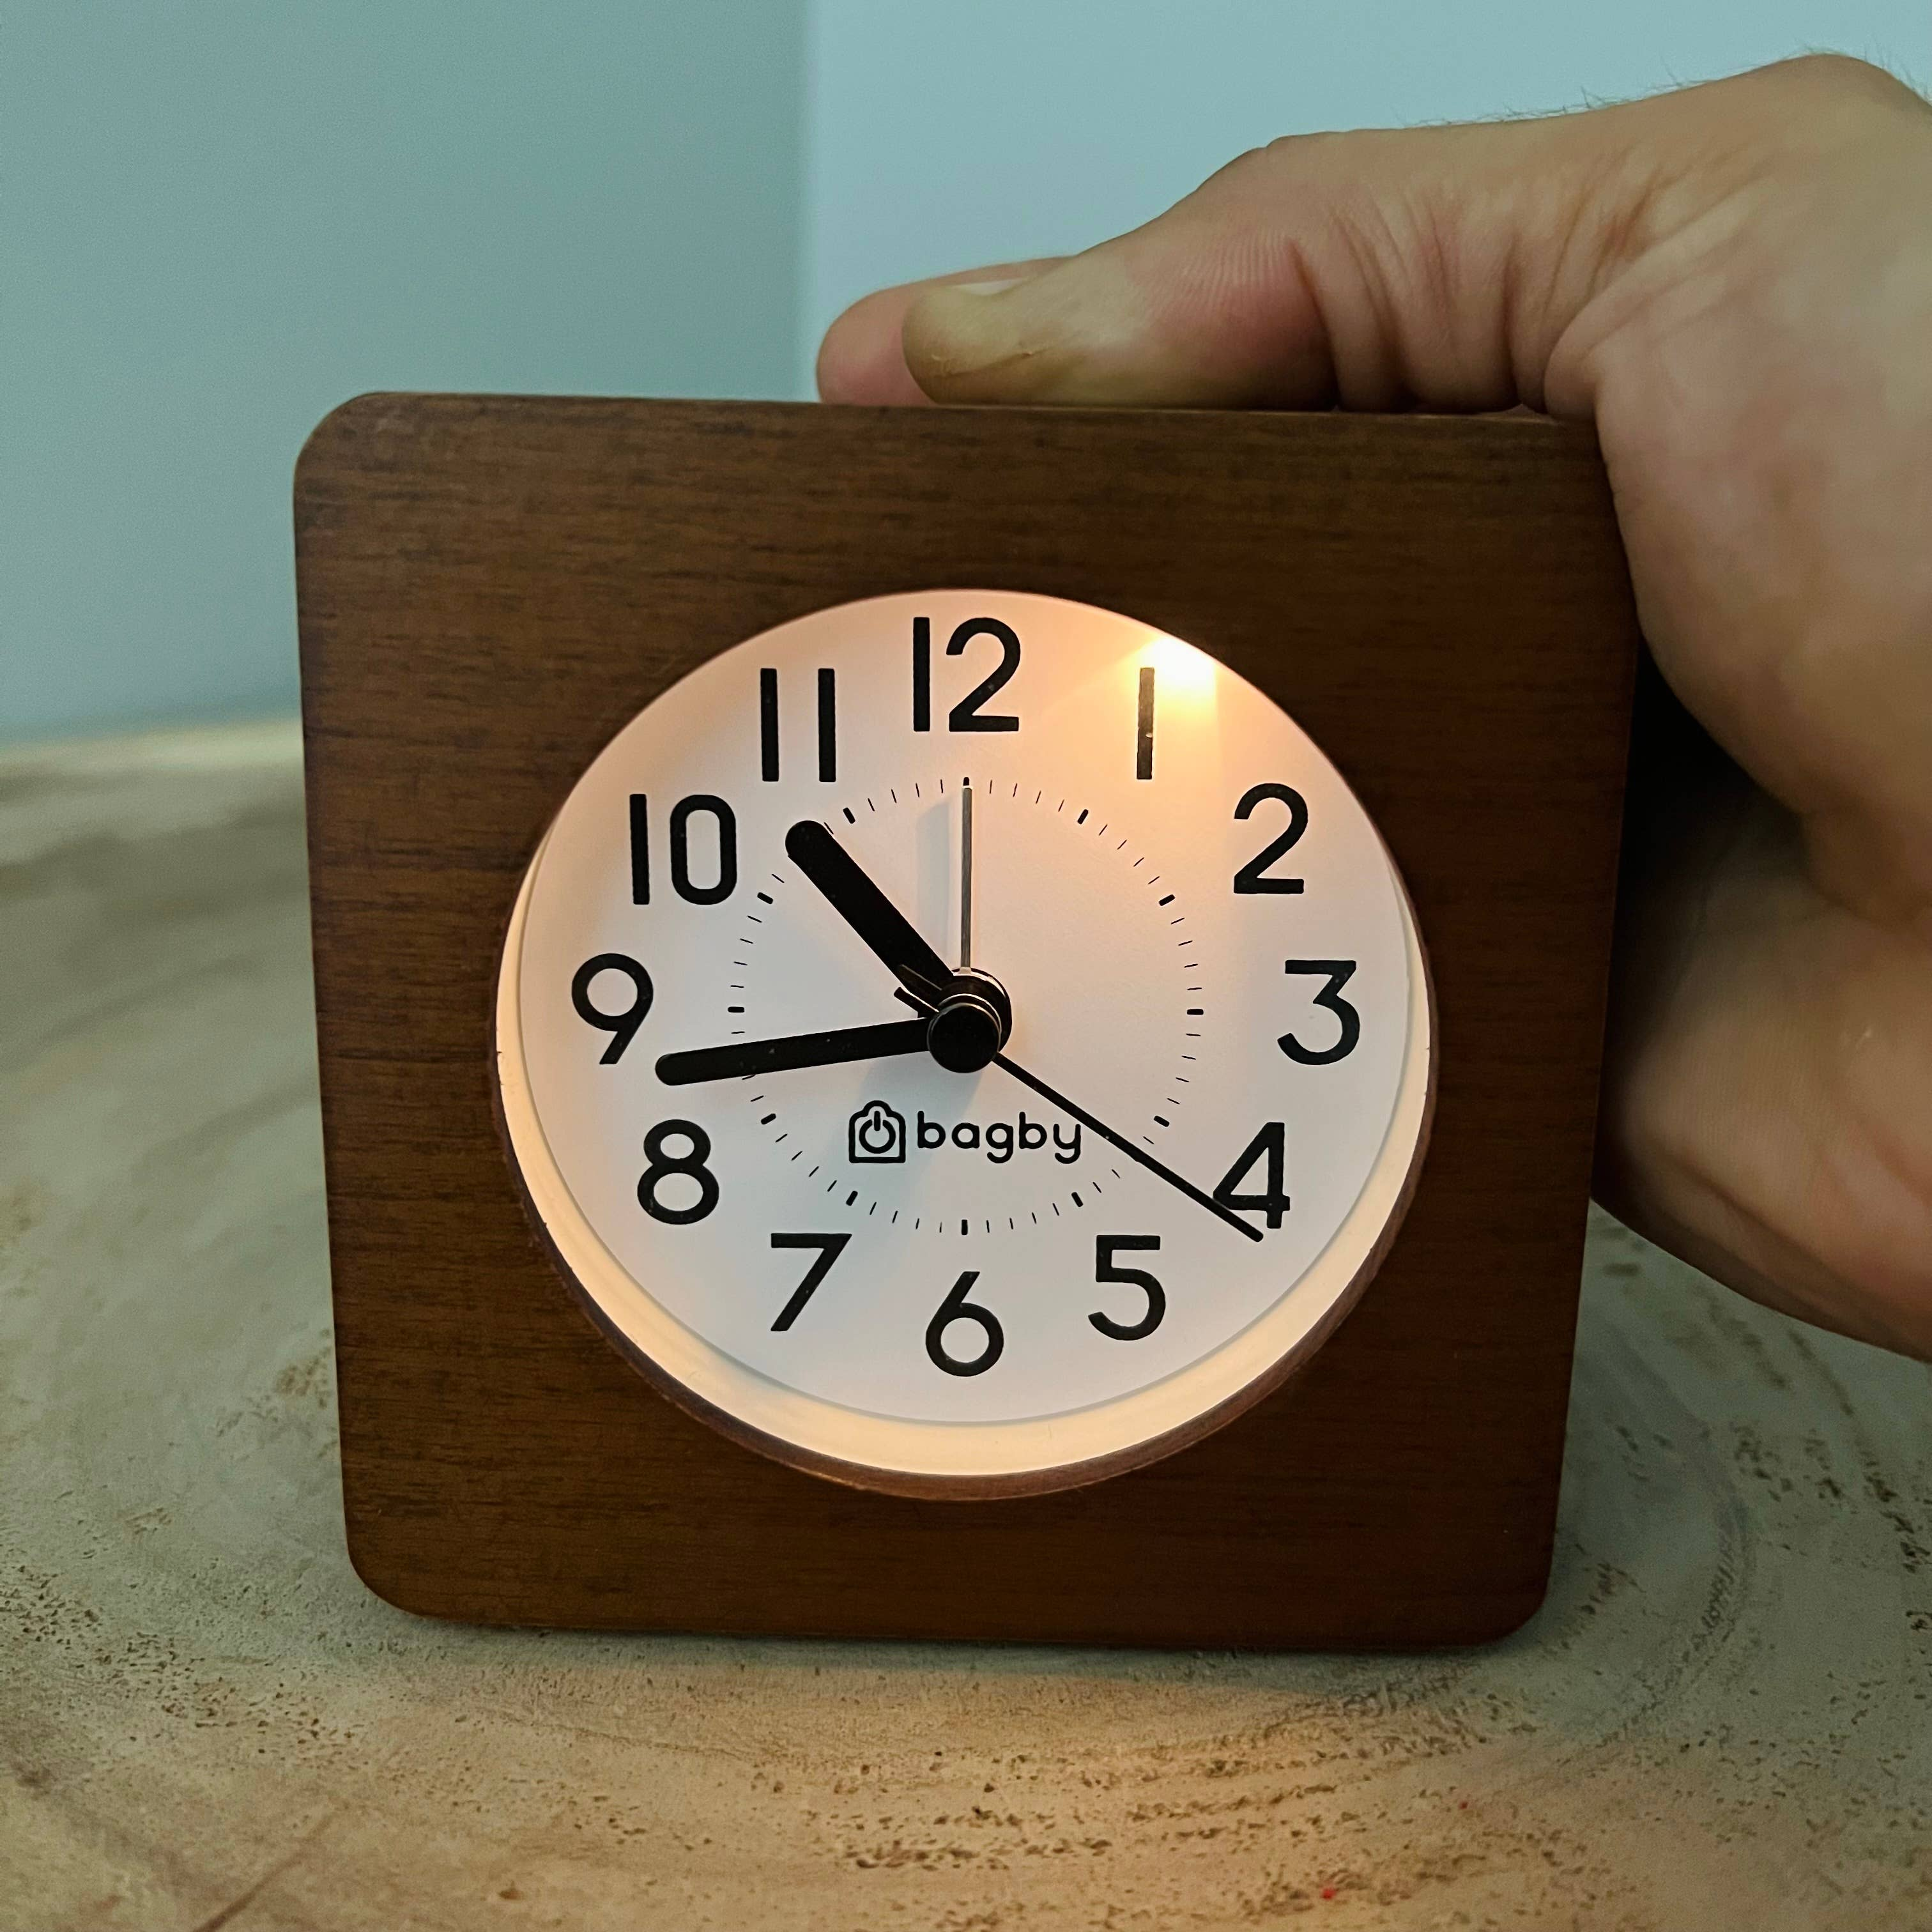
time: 10:43
